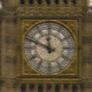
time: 11:48
